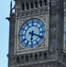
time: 6:18
